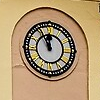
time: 11:55
